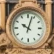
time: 10:03
